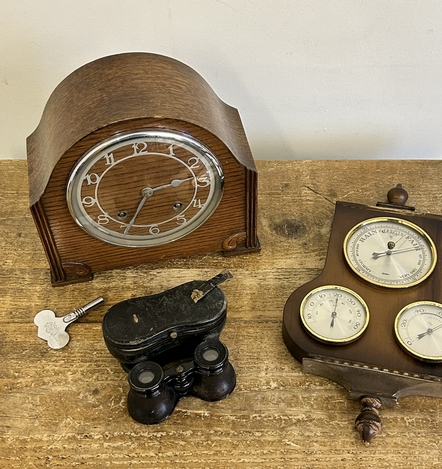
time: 2:34
